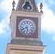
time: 5:40
